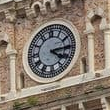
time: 4:14
